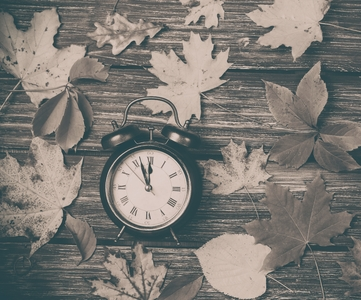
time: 11:56
